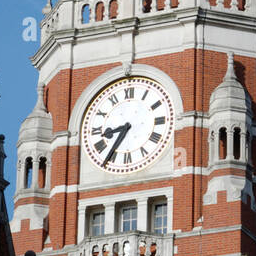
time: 8:35
